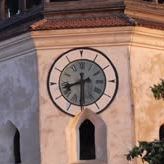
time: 8:30
